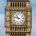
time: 10:47
